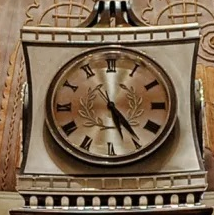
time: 5:24
